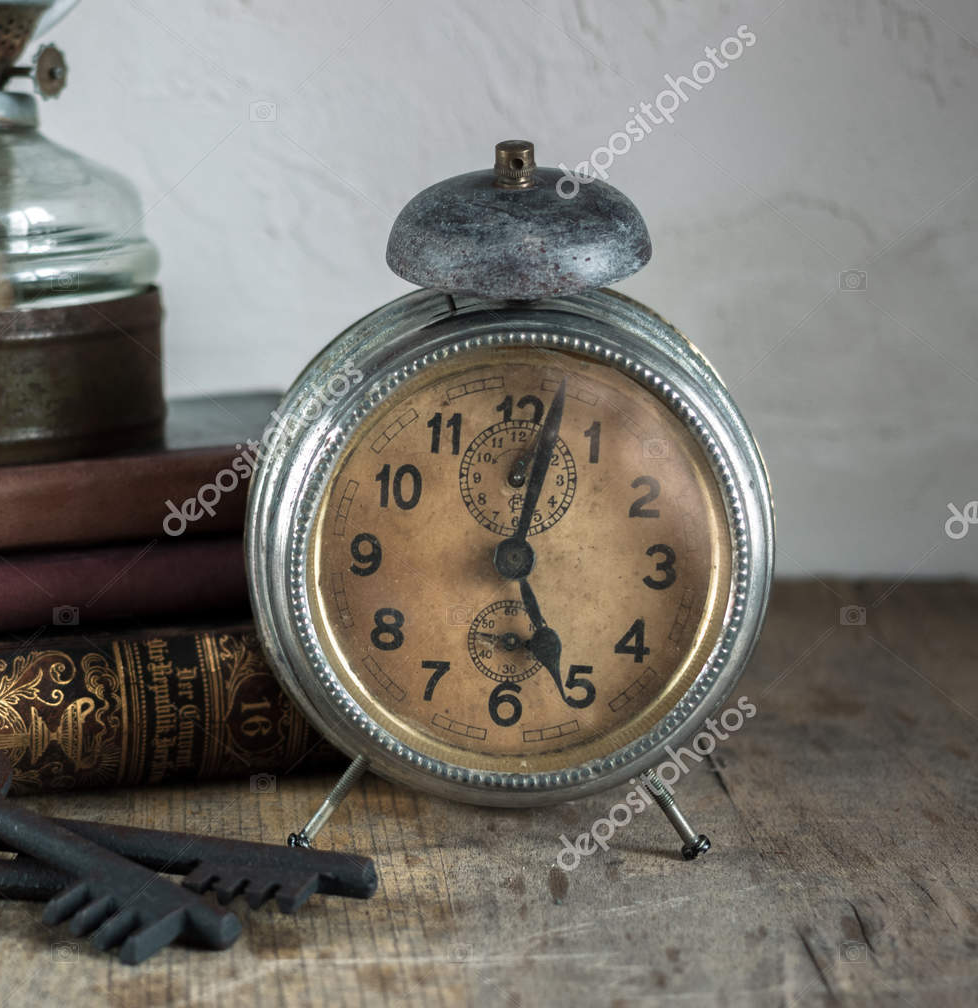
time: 5:01
